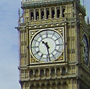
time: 10:28
